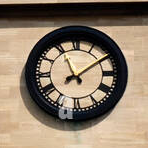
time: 11:09
